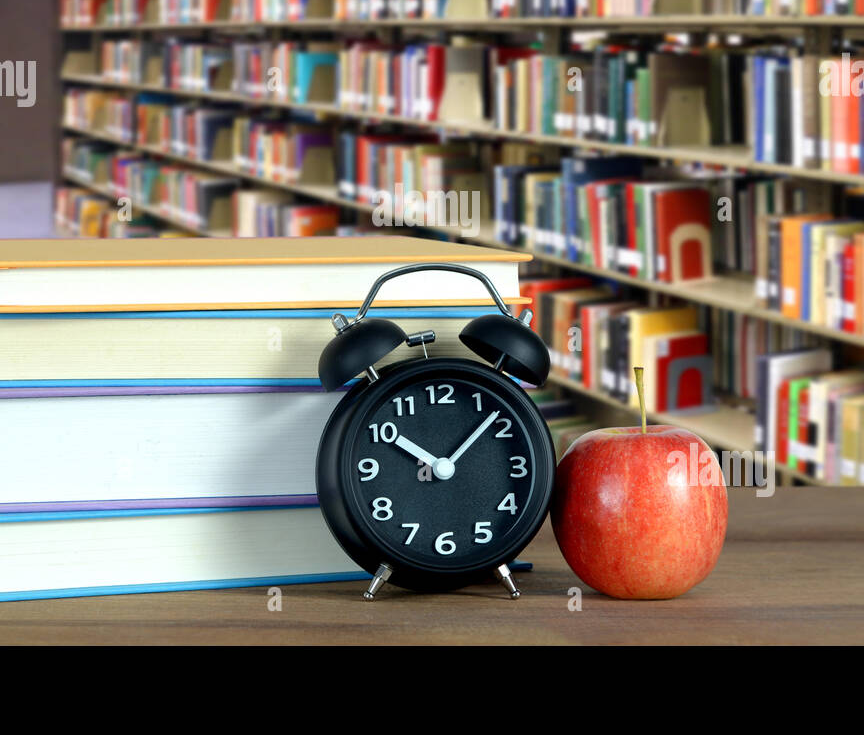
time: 10:07
